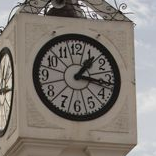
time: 1:17
